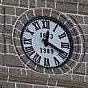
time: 12:19
